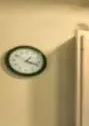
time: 1:18
